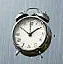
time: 1:51
